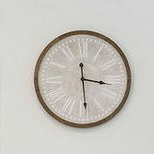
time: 3:29
